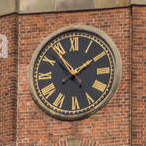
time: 1:53
